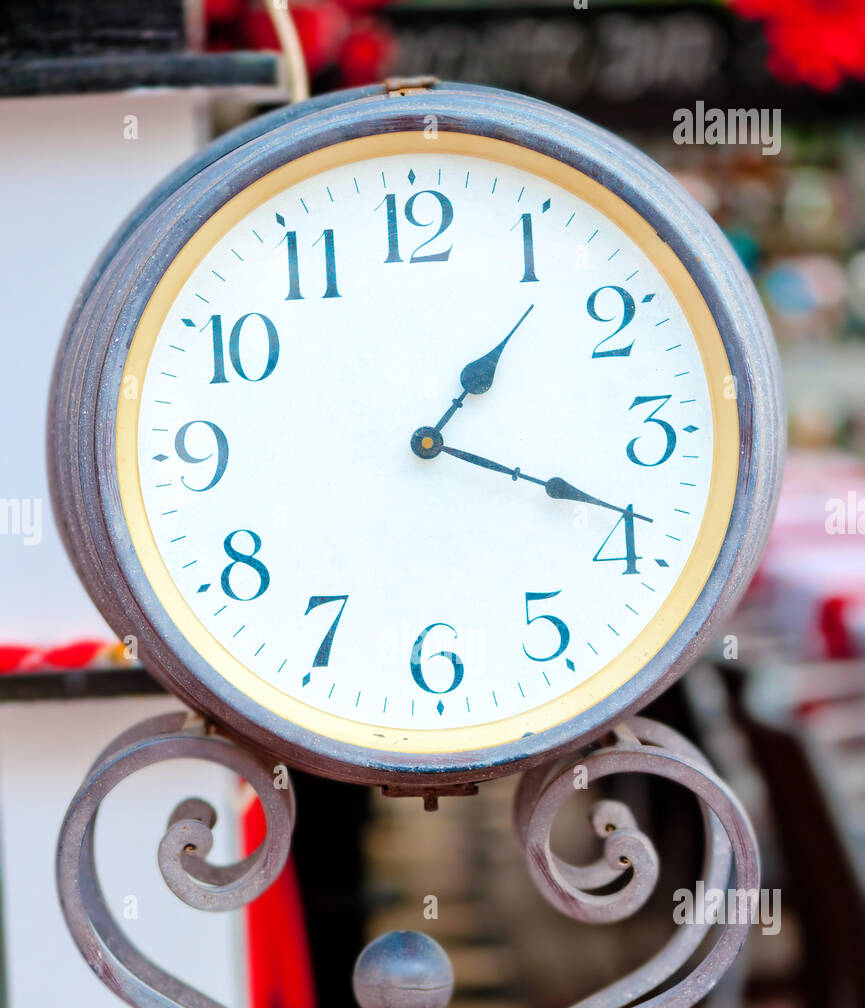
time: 1:18
